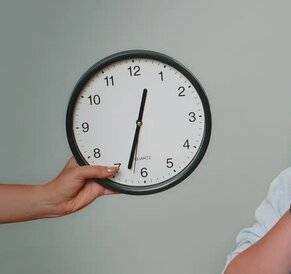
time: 12:32
